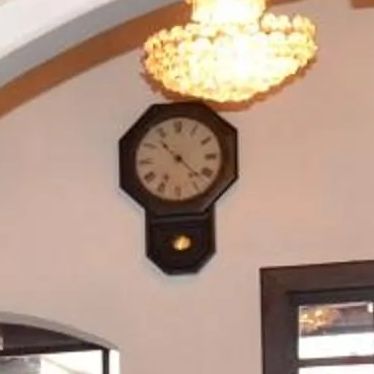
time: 10:22
